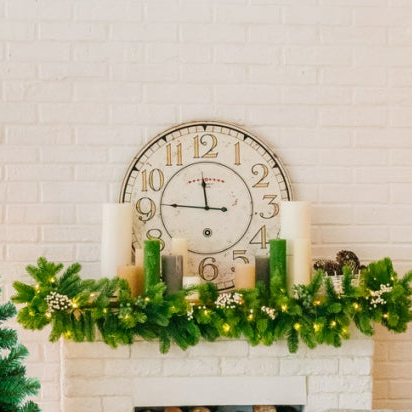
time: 11:46
